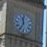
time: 11:35
